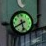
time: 5:40
